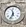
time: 11:33
